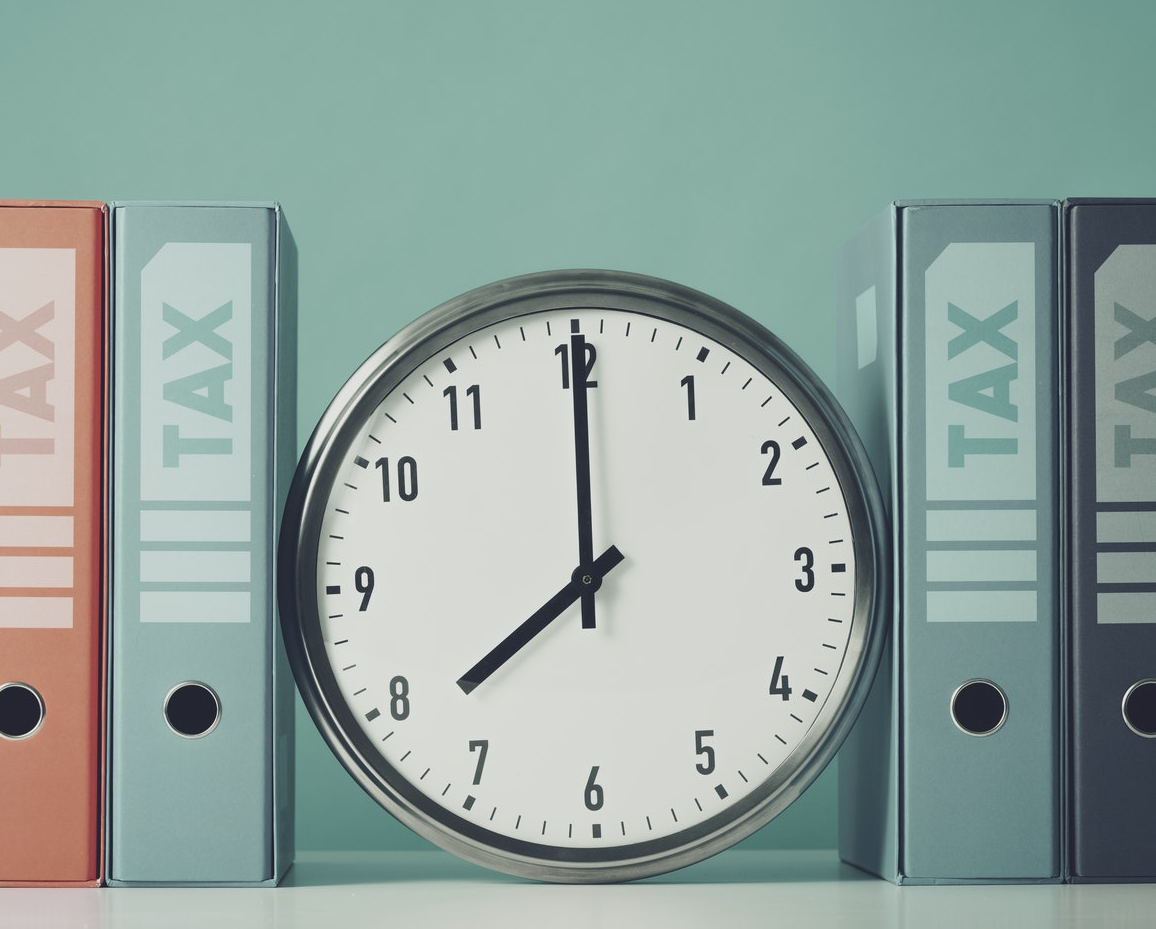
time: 8:00
